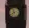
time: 7:57
